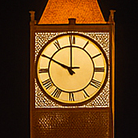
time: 11:49
